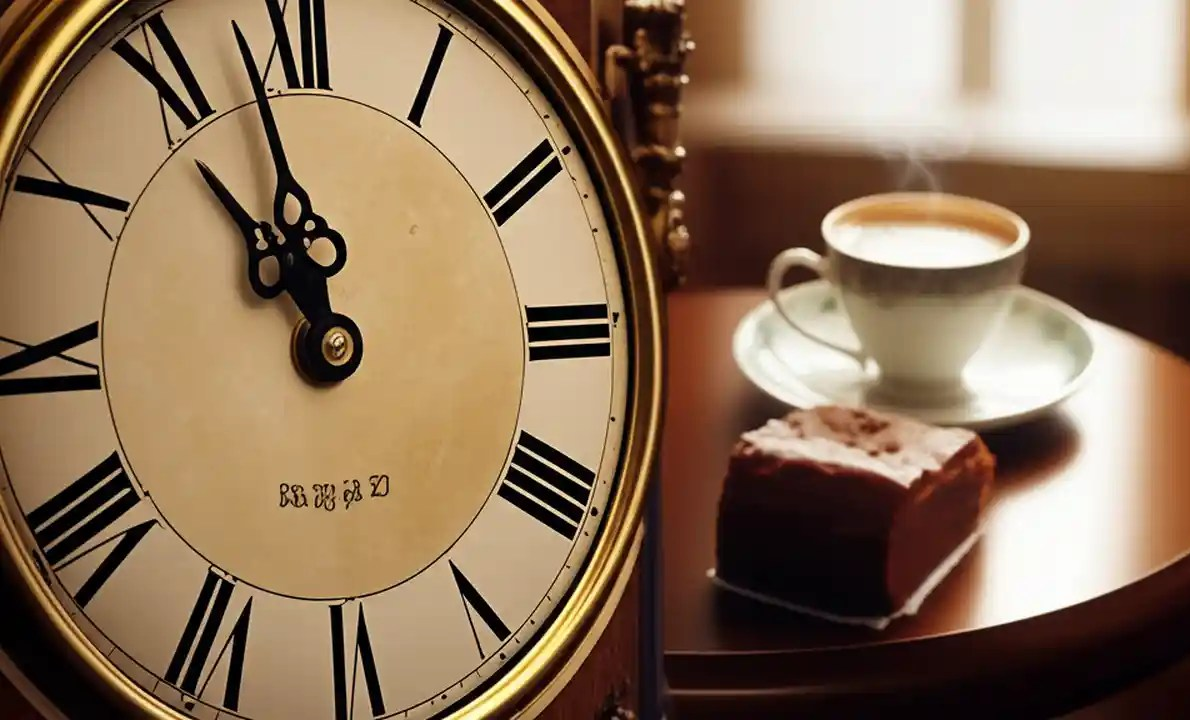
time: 10:58
